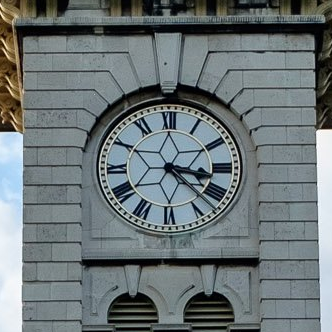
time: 3:22
